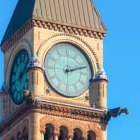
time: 2:11
